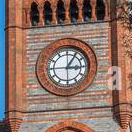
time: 3:05
